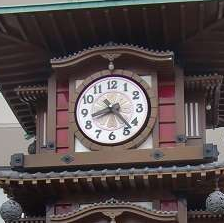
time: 8:23
